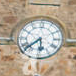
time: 5:38
